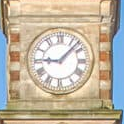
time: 9:07
